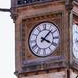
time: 4:07
